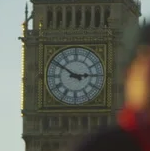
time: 2:50
